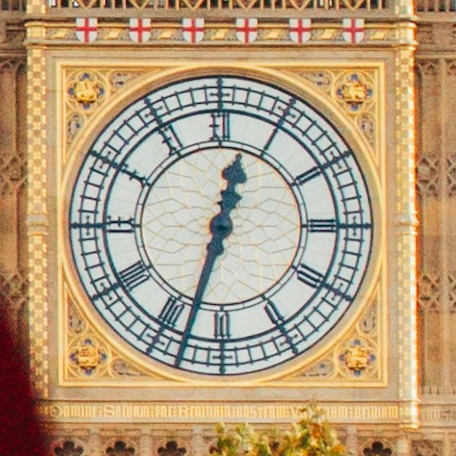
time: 12:32
